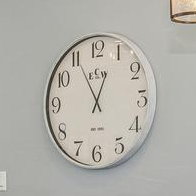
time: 12:55
